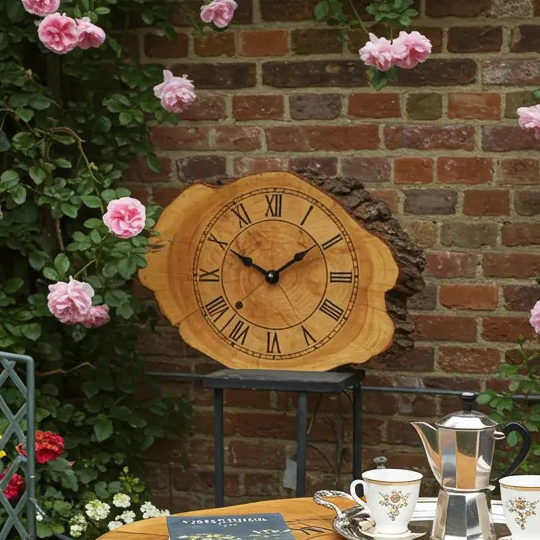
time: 1:50
